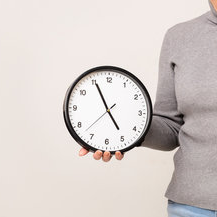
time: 4:55
